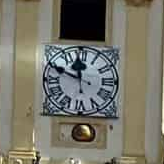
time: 11:48
